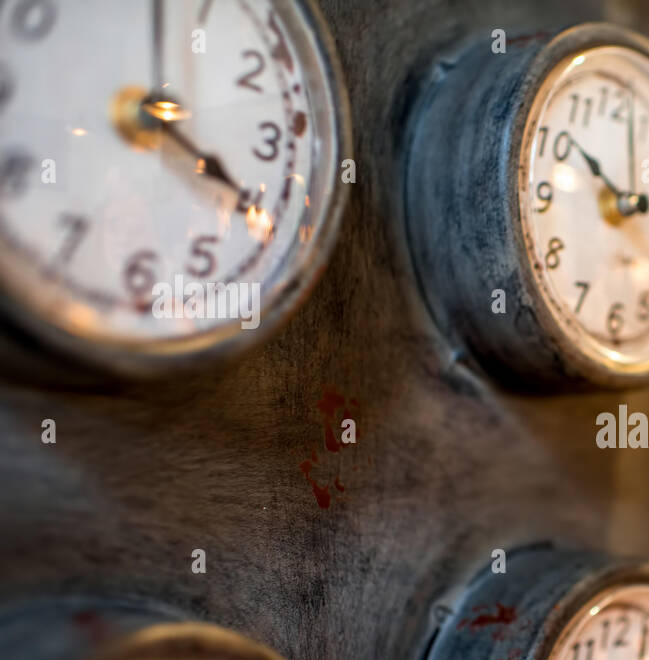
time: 4:00
